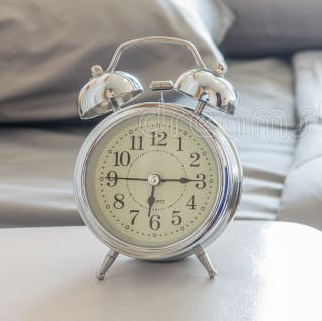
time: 6:15
